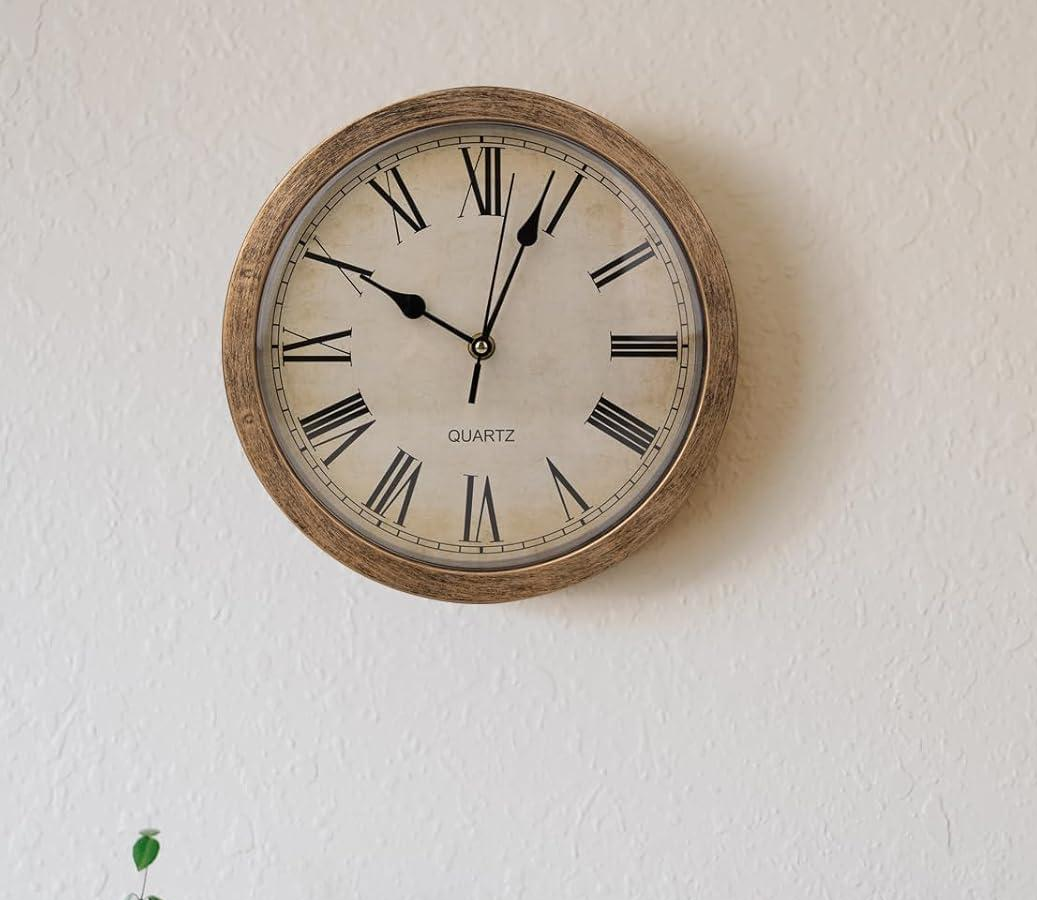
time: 10:03
